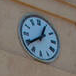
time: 12:39
